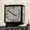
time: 3:50
